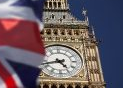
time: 4:42
